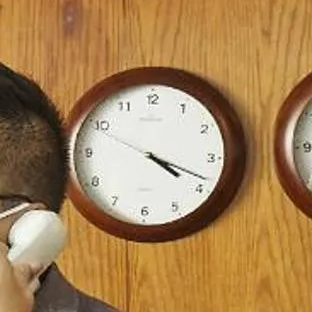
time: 4:18
